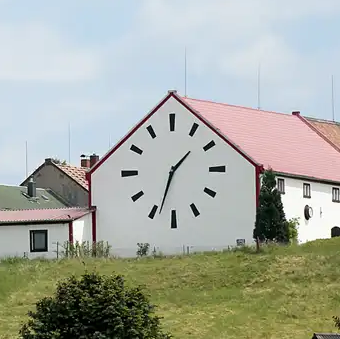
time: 1:33
